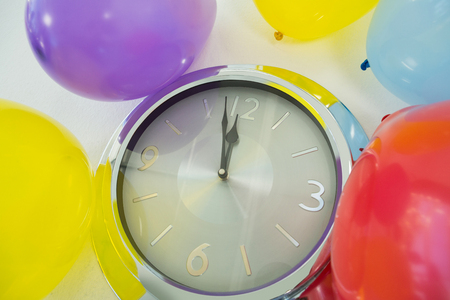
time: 11:57
